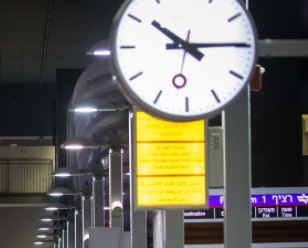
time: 10:14
